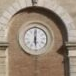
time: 6:00
